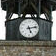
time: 5:13
